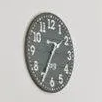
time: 1:35
